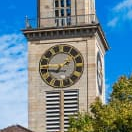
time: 1:45
